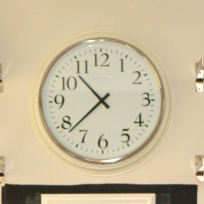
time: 10:38
